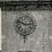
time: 2:48
